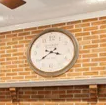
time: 3:39
